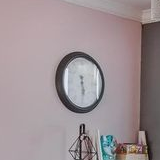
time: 5:29
